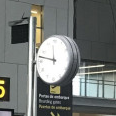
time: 11:47
